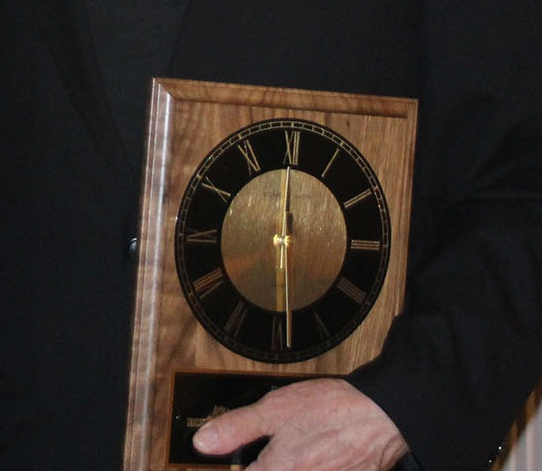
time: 5:59
